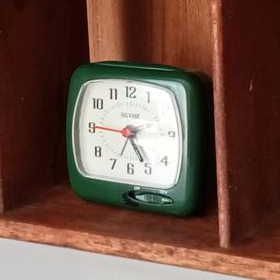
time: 4:45
